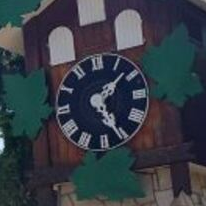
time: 5:08
